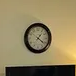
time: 1:21
